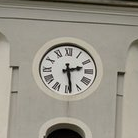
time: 2:28
